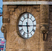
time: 5:45
